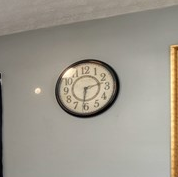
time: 2:31
